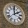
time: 2:00
